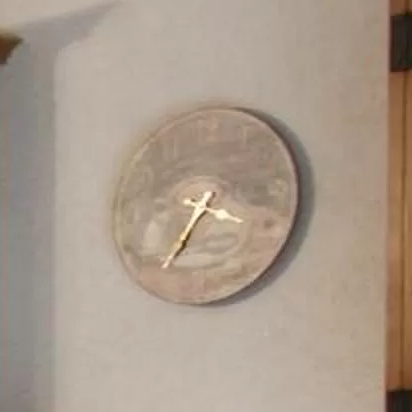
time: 3:34
